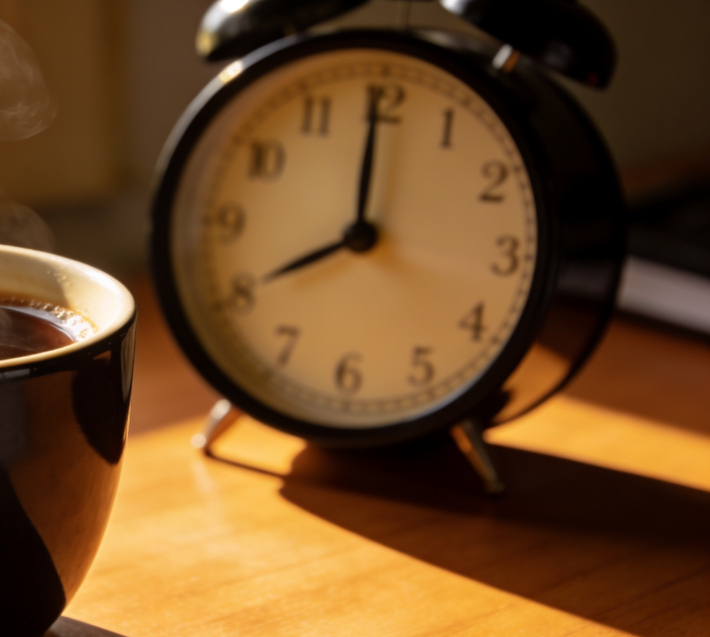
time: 8:00
